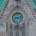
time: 9:12
